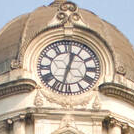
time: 12:32
